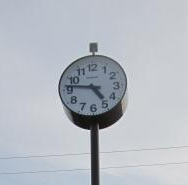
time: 4:46
